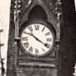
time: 10:20
